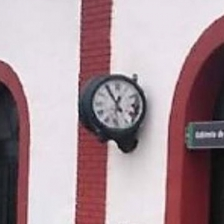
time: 12:54
